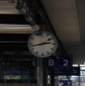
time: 2:42
